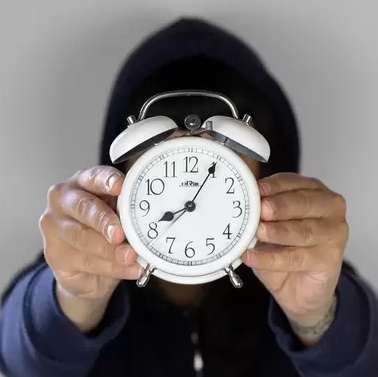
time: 8:05
